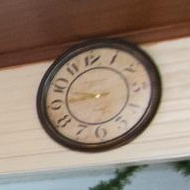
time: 9:45
